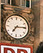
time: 7:14
